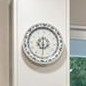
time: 7:30
